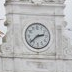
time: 2:38
